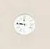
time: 8:46
